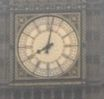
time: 8:01
